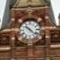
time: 10:22
